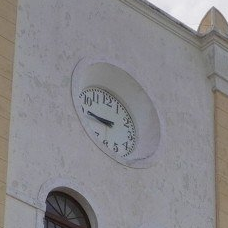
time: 8:45
